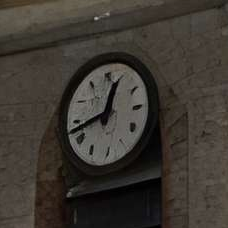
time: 12:42
